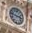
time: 2:46
